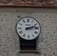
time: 2:13
